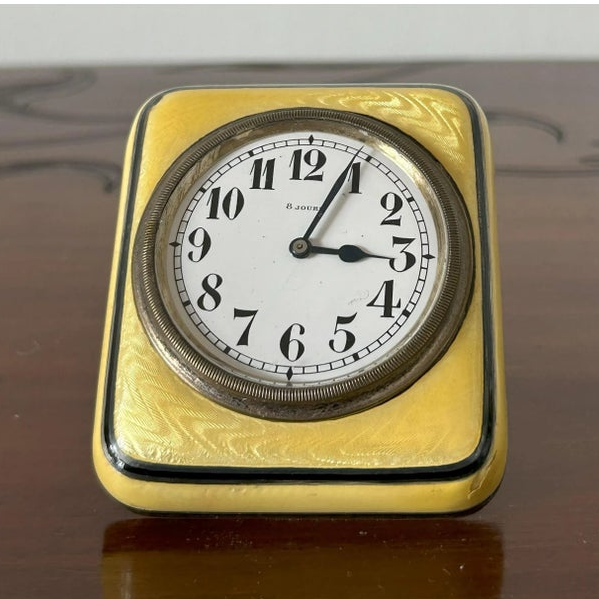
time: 3:04
